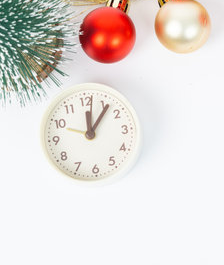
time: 12:06
